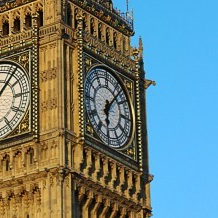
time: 6:06
